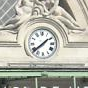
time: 1:38
